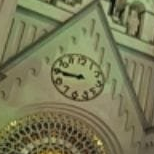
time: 8:45
